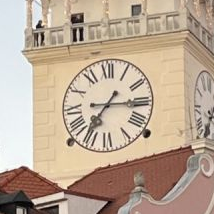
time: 7:14
